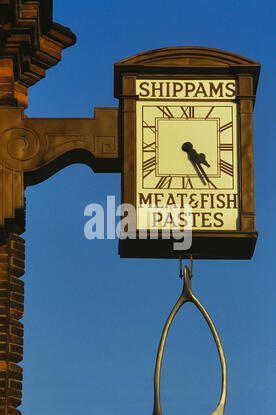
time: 3:22
